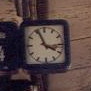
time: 3:56
